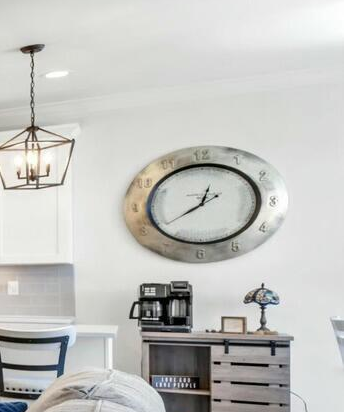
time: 12:38
